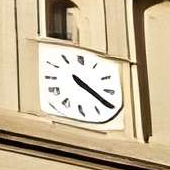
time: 4:20
